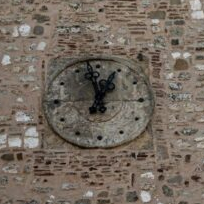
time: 12:57
